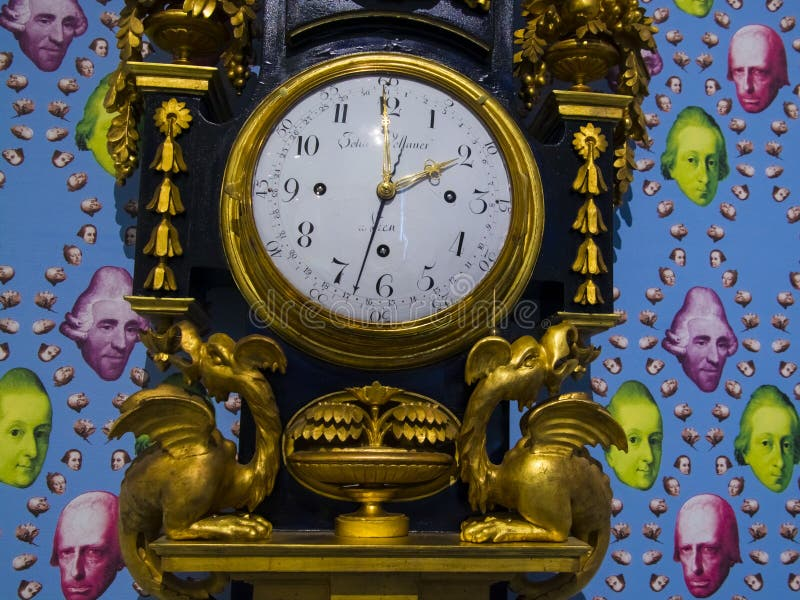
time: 1:59
